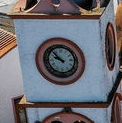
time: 9:53
